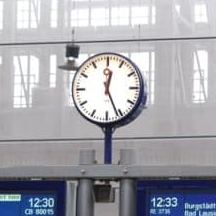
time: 12:26
